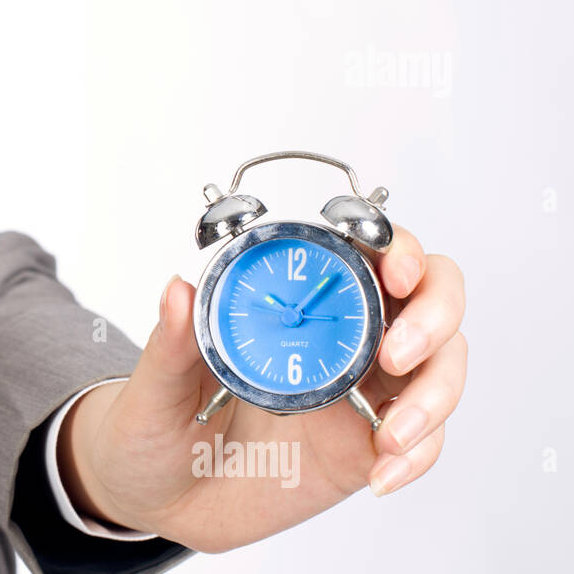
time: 10:07
